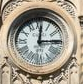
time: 12:14
